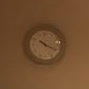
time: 10:19
